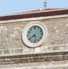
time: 5:40
